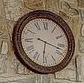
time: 6:17
